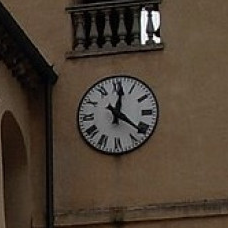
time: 12:21
